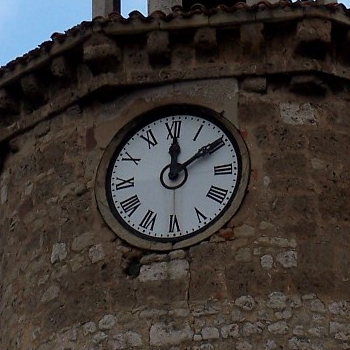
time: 12:09
